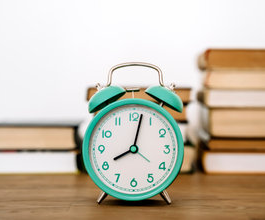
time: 8:02
